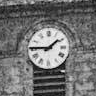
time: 1:45
